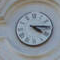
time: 4:14
